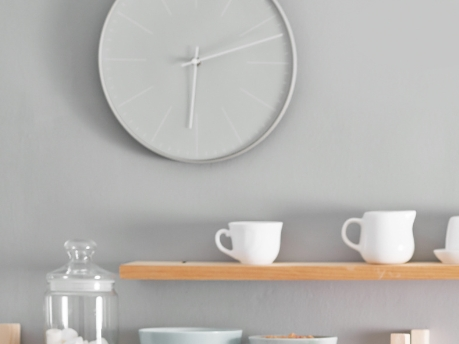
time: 6:11
